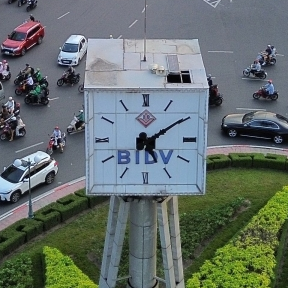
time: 5:09
